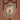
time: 7:32
